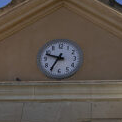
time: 9:35
